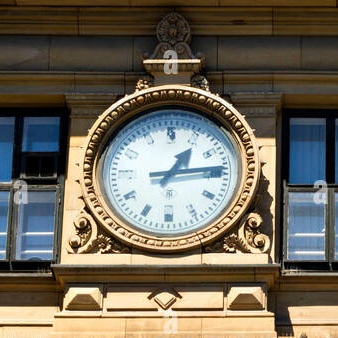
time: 1:13
